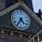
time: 4:35
